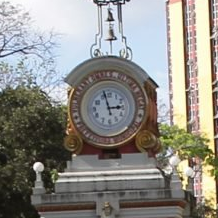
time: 2:57
